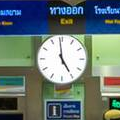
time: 4:58
